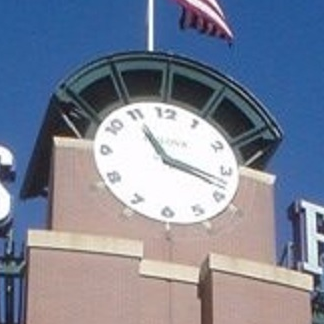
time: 11:18
